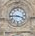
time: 3:45
